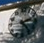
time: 2:23
